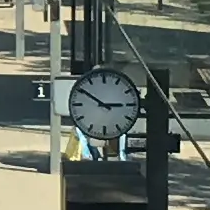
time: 2:50
